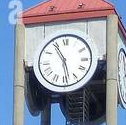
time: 5:54
